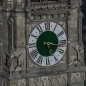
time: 5:16
